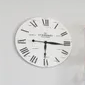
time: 6:15
